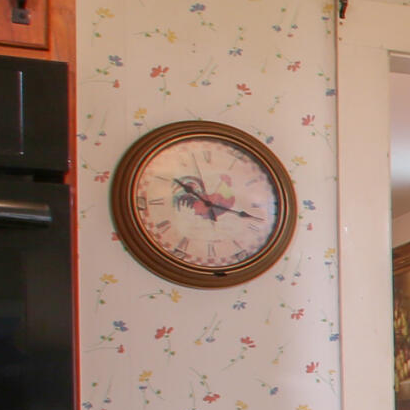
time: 10:17
